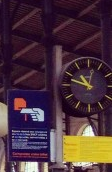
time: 10:48
